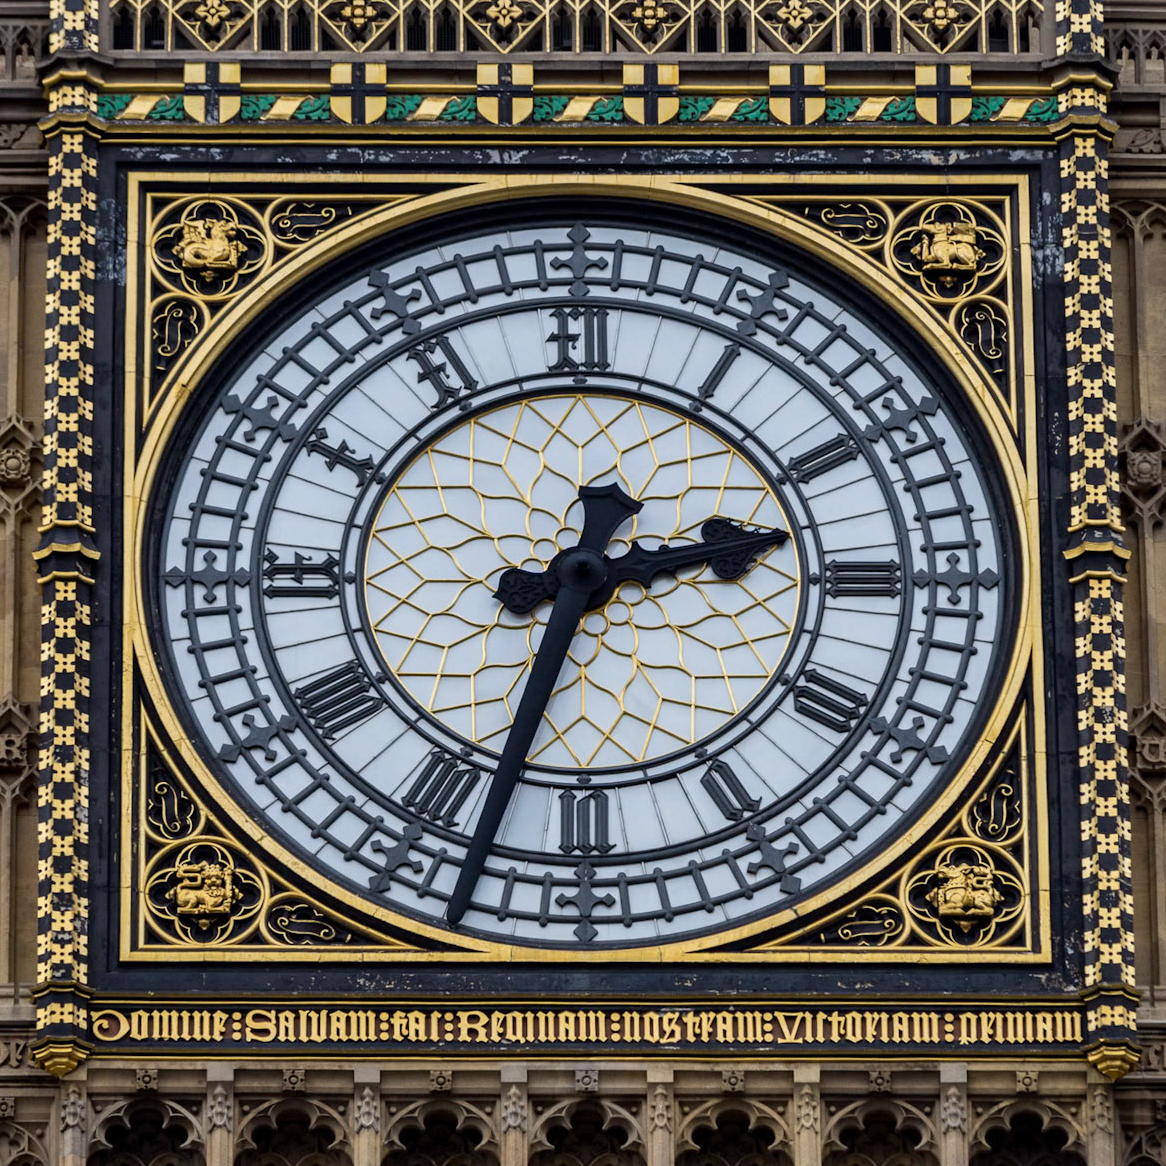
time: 2:33
